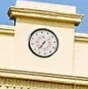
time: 7:37
